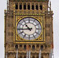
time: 10:43
